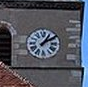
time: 1:09
